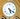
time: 5:20
